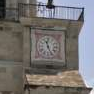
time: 11:25
